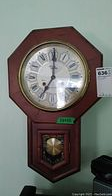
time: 7:00
